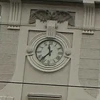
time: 11:36
